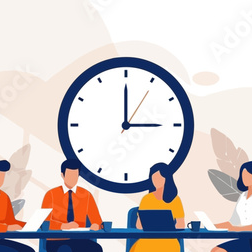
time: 2:59
